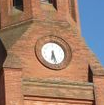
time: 6:27
